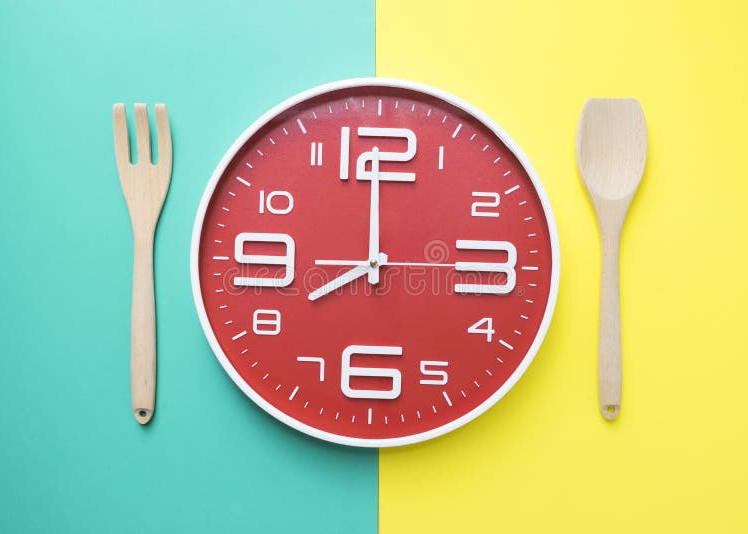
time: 7:59
